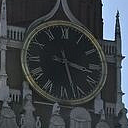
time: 3:27
